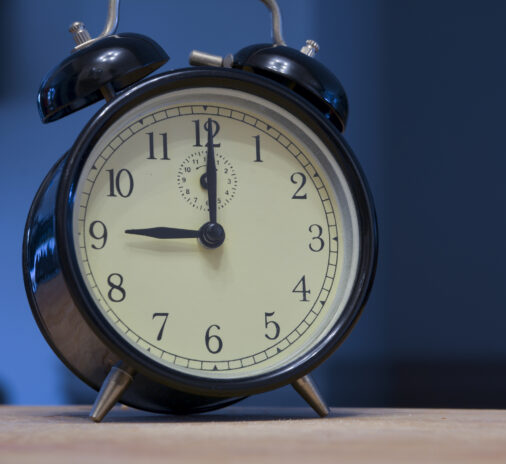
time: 9:00
